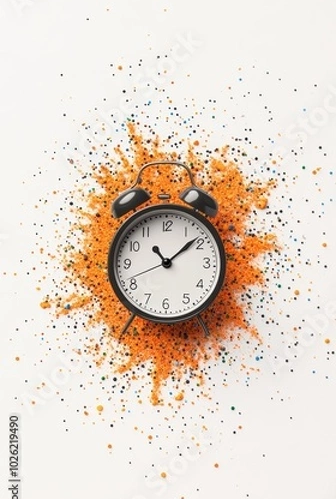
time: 11:08
